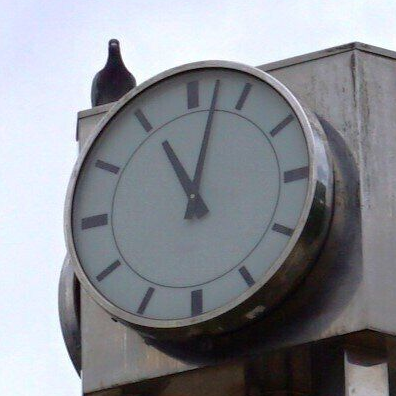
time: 11:02
